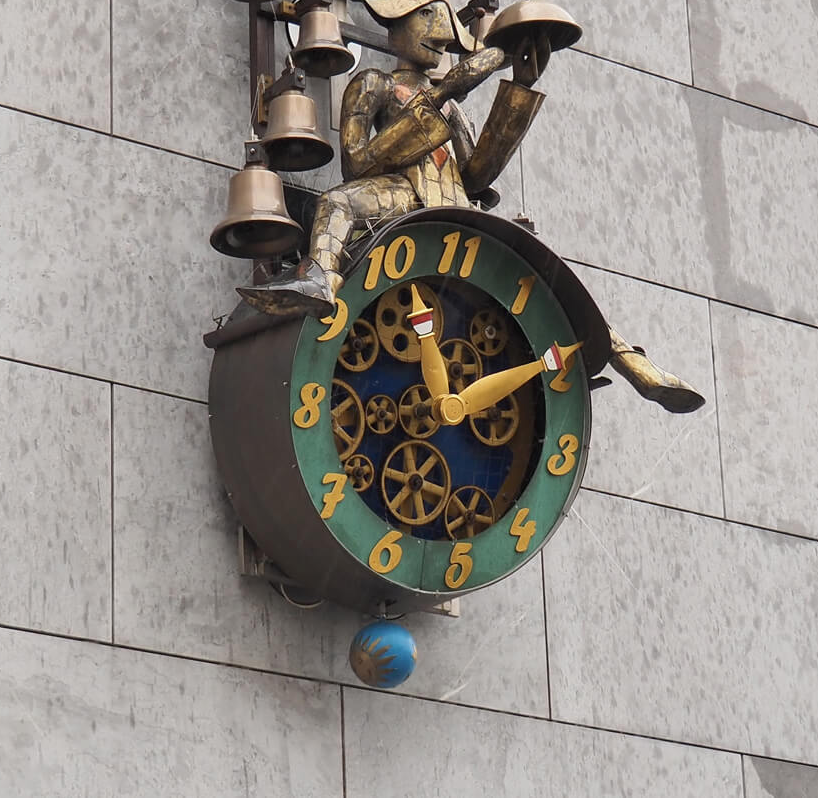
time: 12:14
